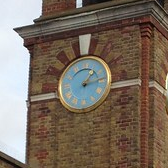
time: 1:13
